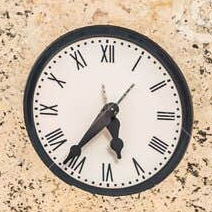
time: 5:36
